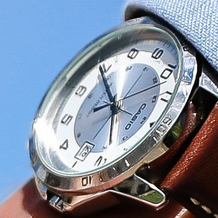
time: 8:54
